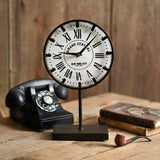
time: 9:07
